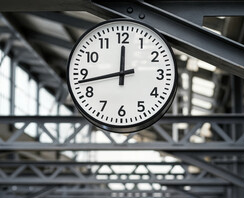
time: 11:43
